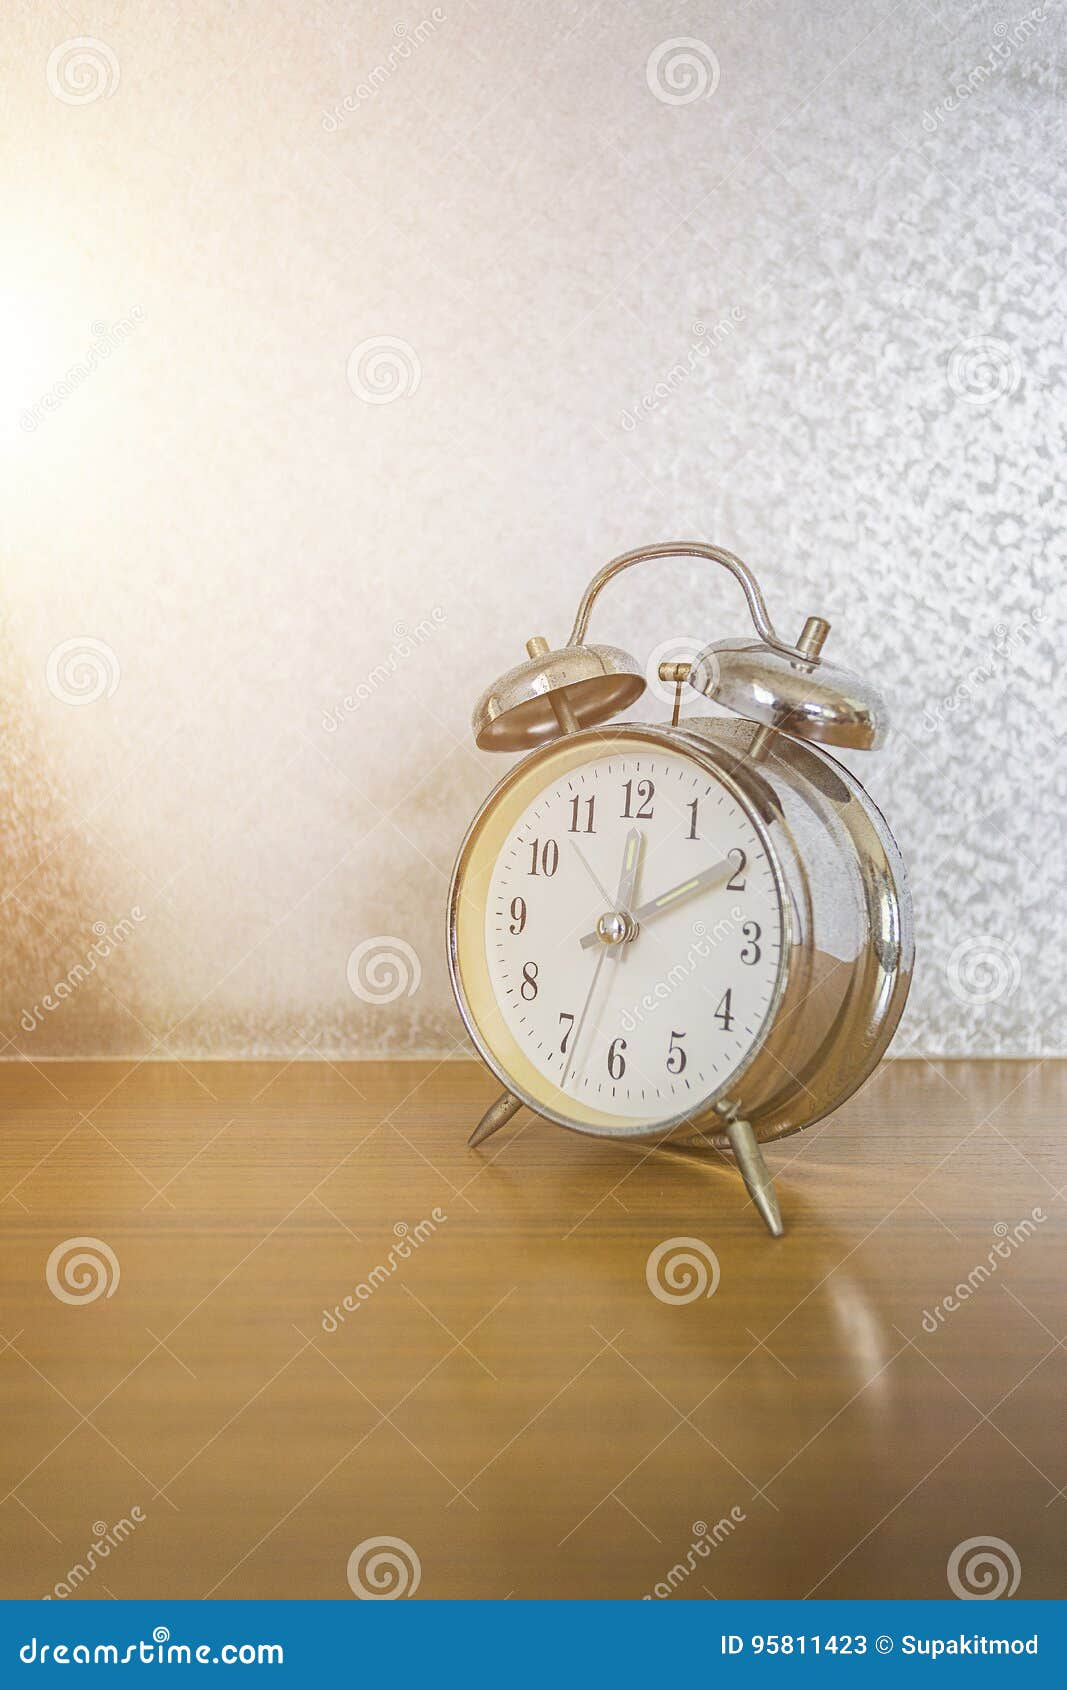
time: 12:09
